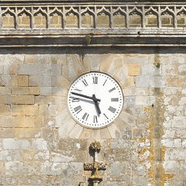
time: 5:47
